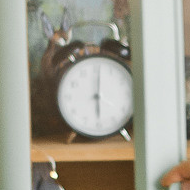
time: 6:00
